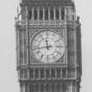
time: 11:43
